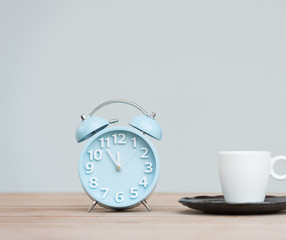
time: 11:54
